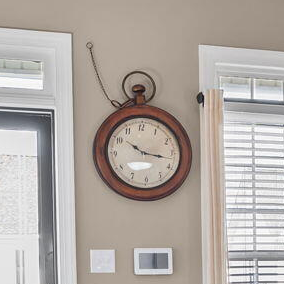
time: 10:17
